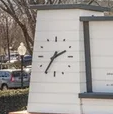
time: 2:35
